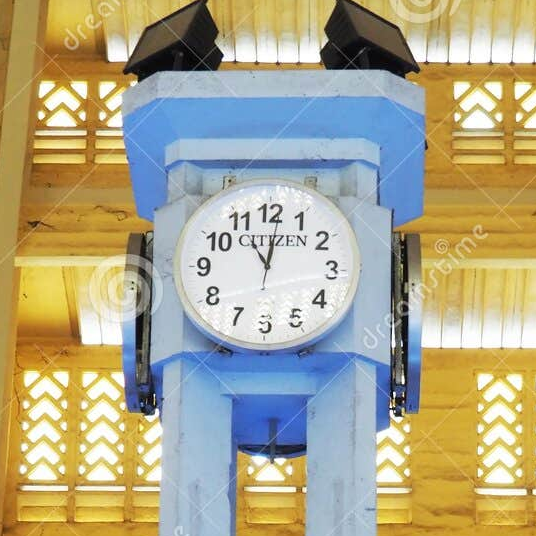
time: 11:01
